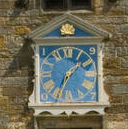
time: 7:08
